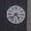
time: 4:37
